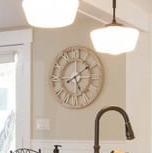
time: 5:09
